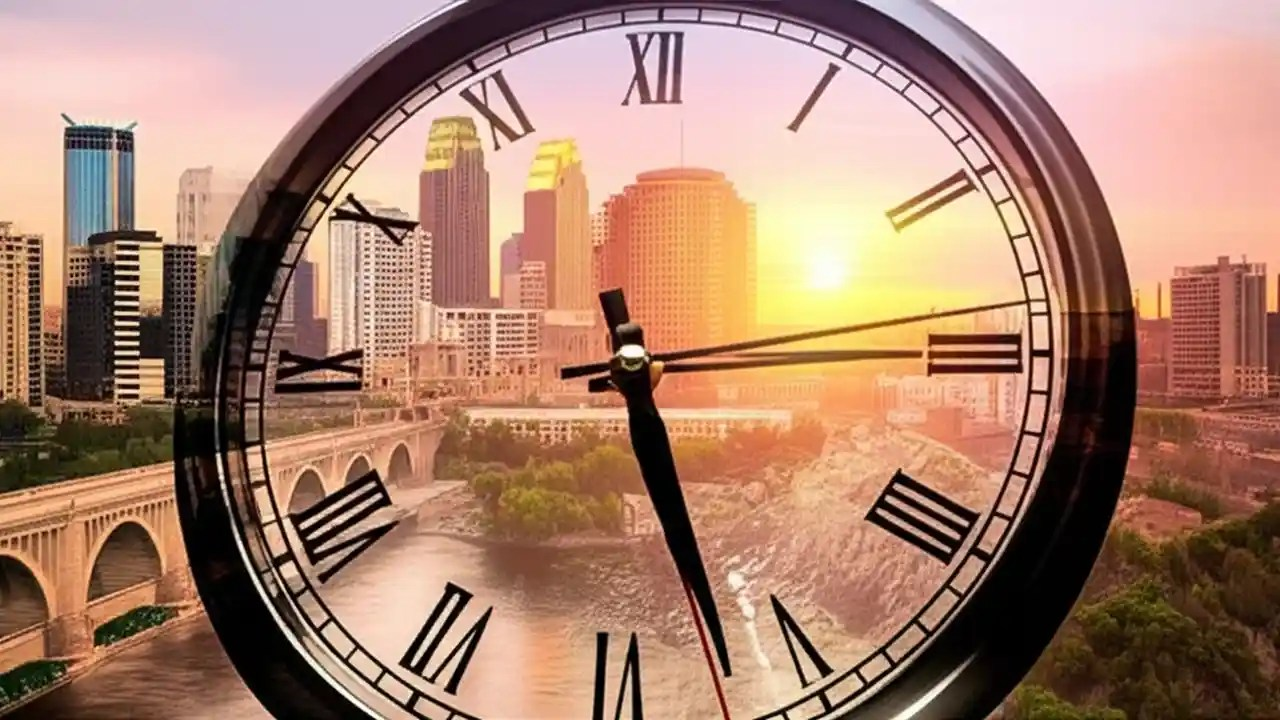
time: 5:26
